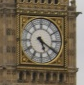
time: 5:20
